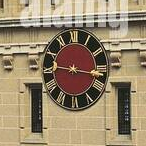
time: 9:16
